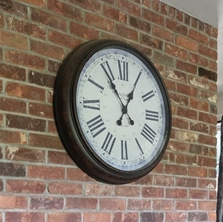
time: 12:54
